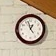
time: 12:57
